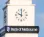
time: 10:00
